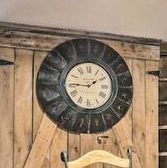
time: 9:10
